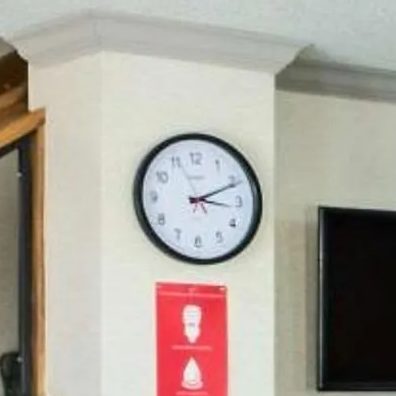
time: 3:10
